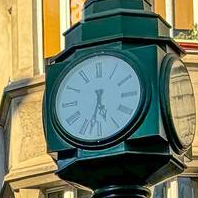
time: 5:32
